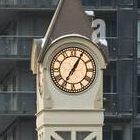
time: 7:05
